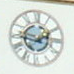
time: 1:46
